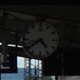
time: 4:38
